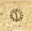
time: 11:28
